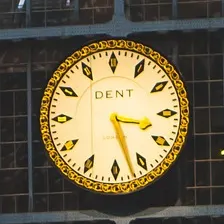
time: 3:27
